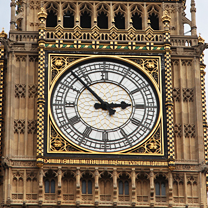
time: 2:52
